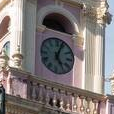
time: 5:03
